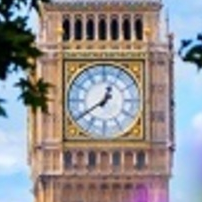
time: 12:39
